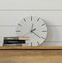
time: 12:21
